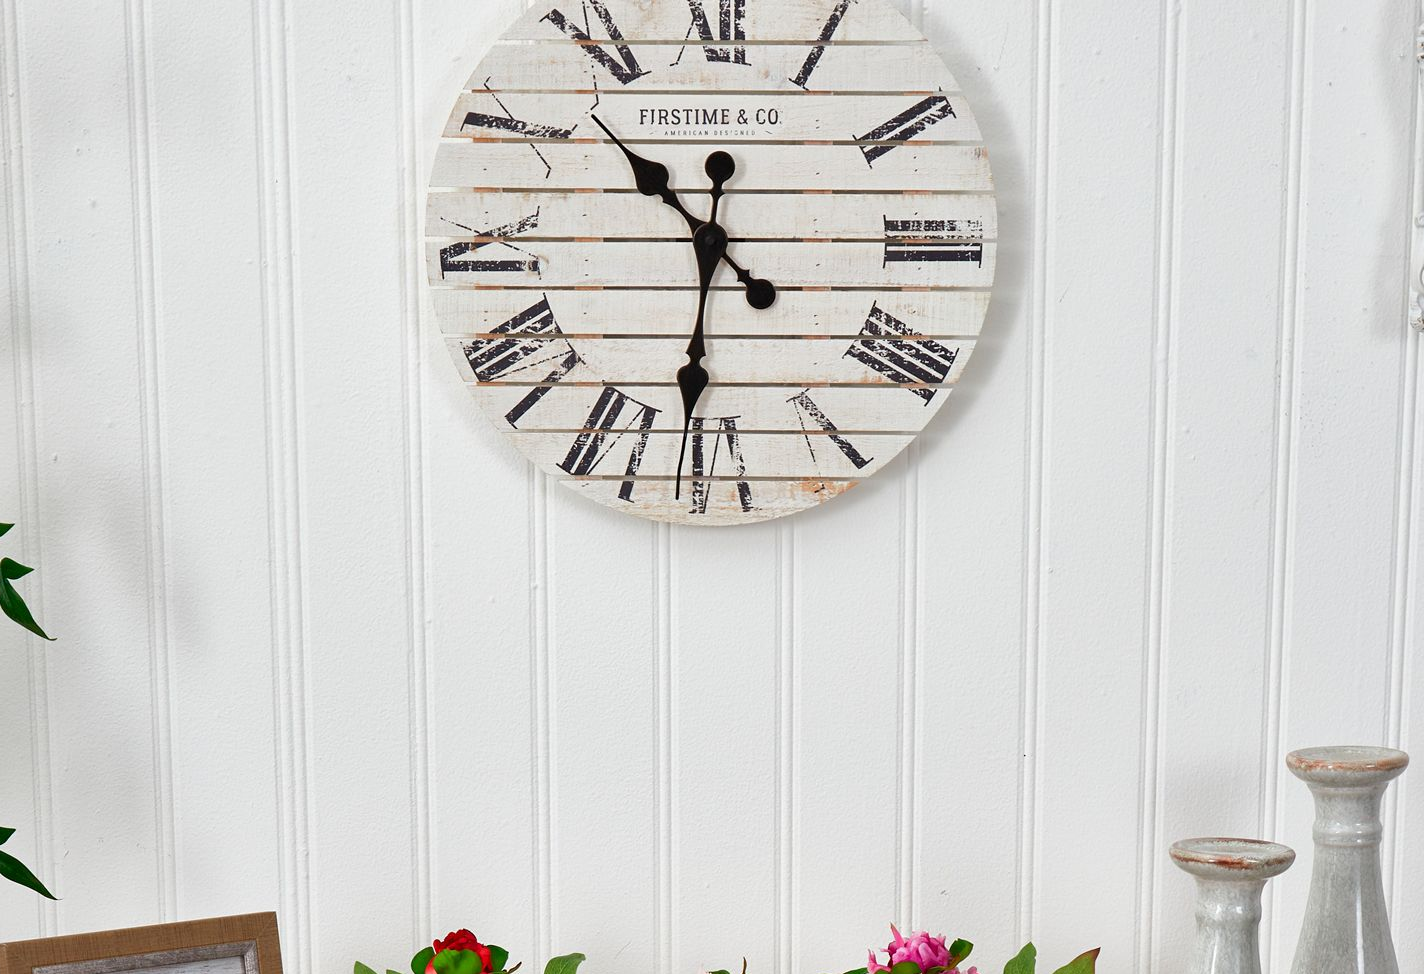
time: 10:31
